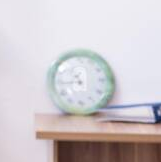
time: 10:43
